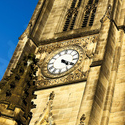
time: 4:19
